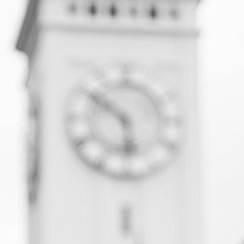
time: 5:51
